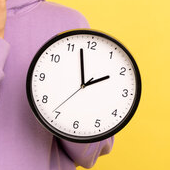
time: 1:57
